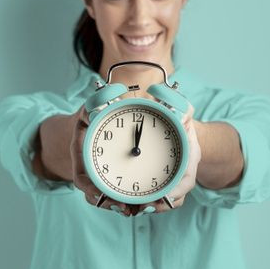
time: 12:02
